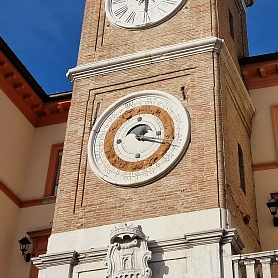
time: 1:18
